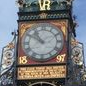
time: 10:50
